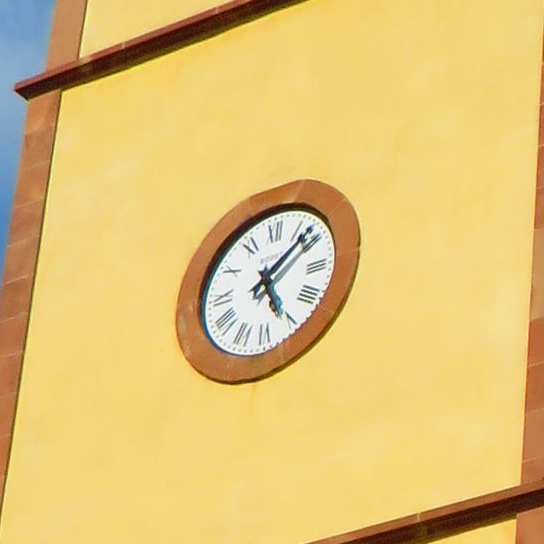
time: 5:08
